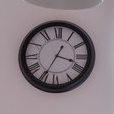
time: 3:34
